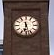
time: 6:27
